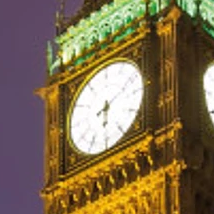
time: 6:11
